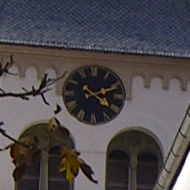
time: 2:21
